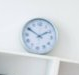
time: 1:50
